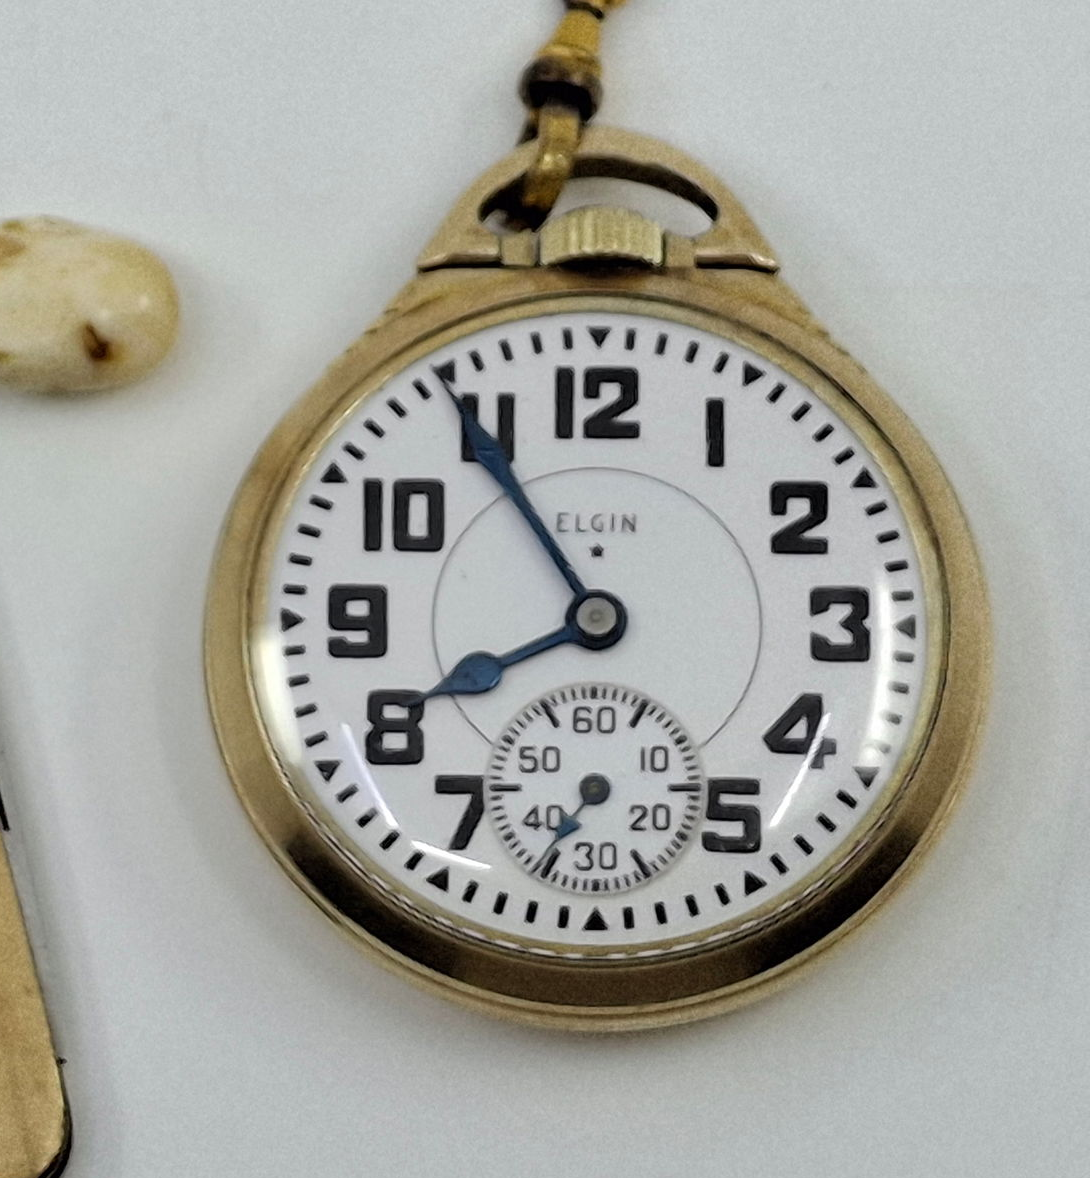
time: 7:54
